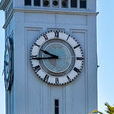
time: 9:43
